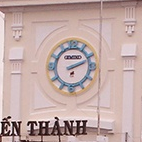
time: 2:11
